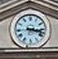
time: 3:17
